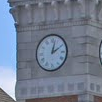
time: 2:02
